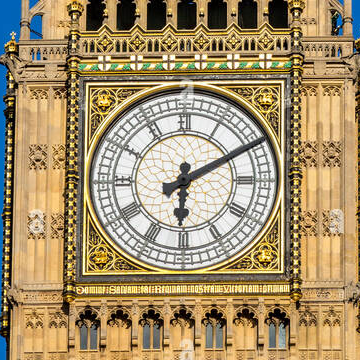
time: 6:10
